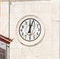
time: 12:03
